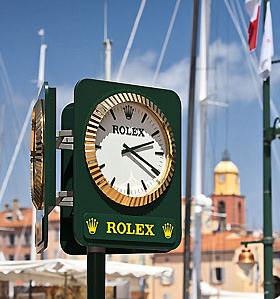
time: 2:19
